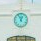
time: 12:55
